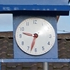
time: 9:33
